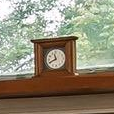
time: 11:41
